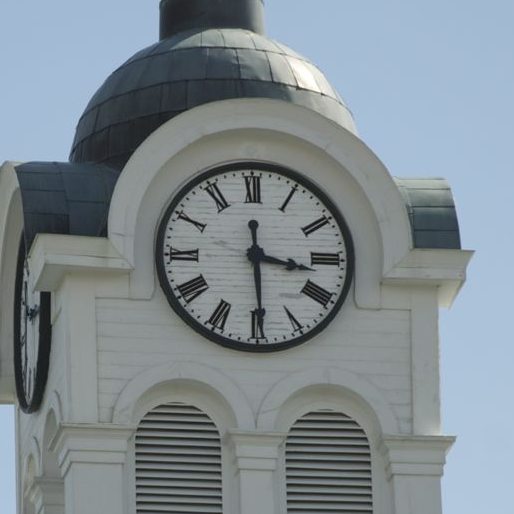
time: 3:29
